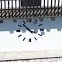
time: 3:52
